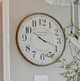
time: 10:18
